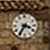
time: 3:35
